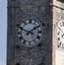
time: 1:49
